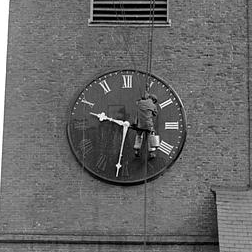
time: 9:31
